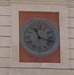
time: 11:17
